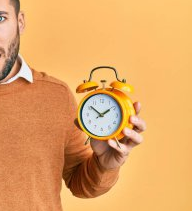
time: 1:51
